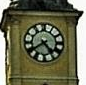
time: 4:39
